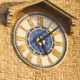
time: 5:08
